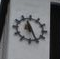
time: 11:25
